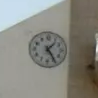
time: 1:24
